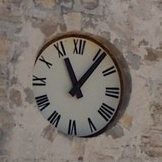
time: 11:06
